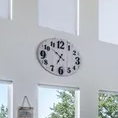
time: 6:52
